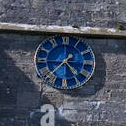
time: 4:37
